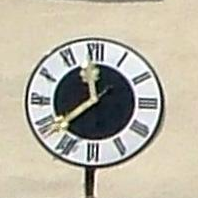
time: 11:38
